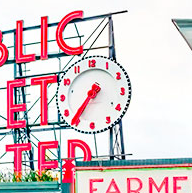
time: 7:36
